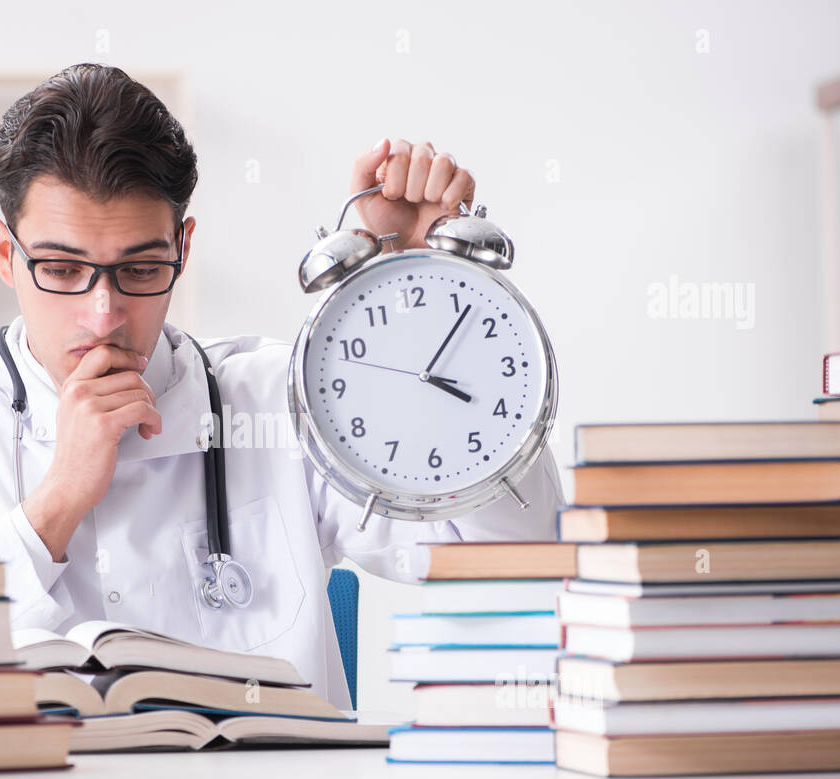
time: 4:06
